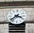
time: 3:37
